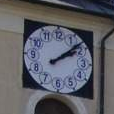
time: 2:08
